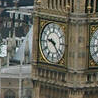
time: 9:22
